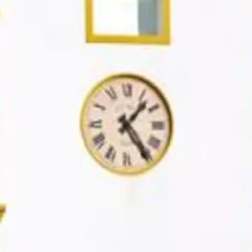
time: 1:24
